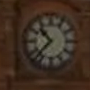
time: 10:37
